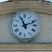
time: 11:11
